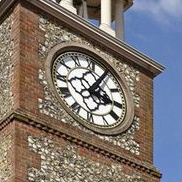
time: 3:04
